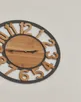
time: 2:44
